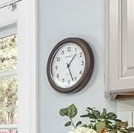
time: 1:26
